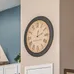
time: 12:11
